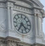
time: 4:35
